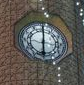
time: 5:59
